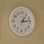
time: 1:13
